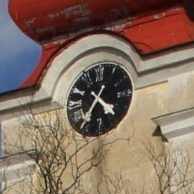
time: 4:35
